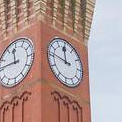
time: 11:46
